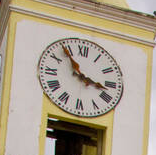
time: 3:54
